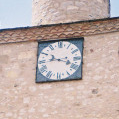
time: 9:18
